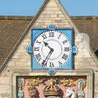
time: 10:35
